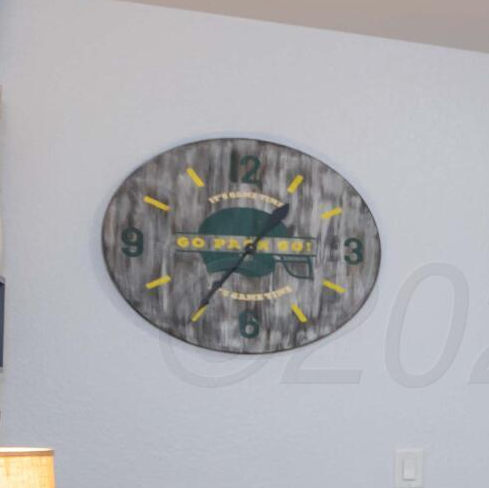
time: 1:36
